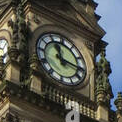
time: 11:16
